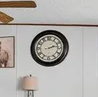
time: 2:13
